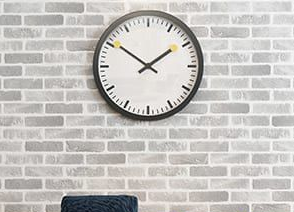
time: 1:50
